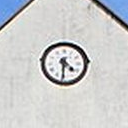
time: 4:30
